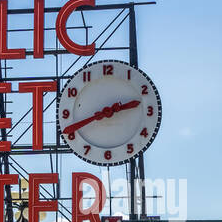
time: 2:41
